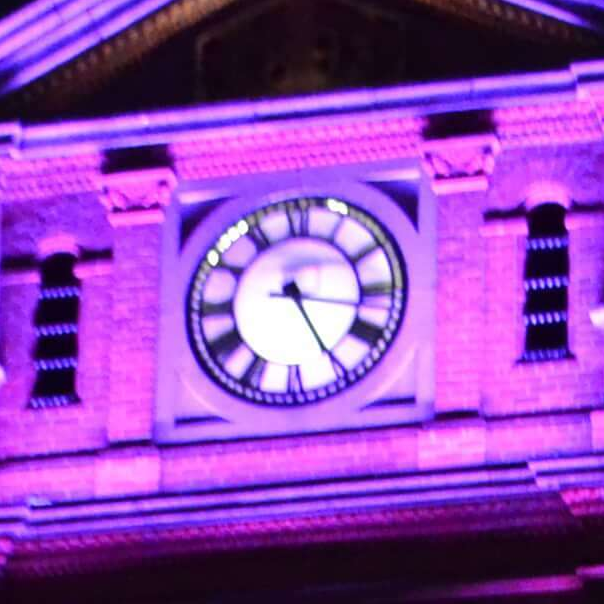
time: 3:25
